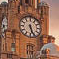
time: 5:26
